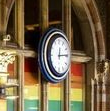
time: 12:14
